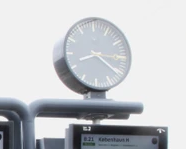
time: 8:20
